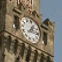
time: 1:16
